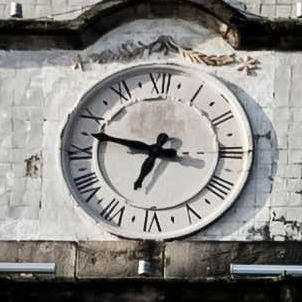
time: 6:47
